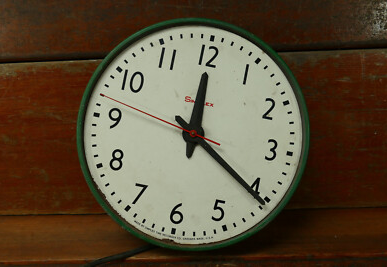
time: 12:20
